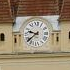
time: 9:38
